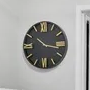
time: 10:16
